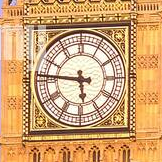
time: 5:46
